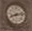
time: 8:12
